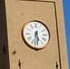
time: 5:31
